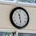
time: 11:28
